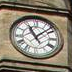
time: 11:07
